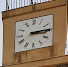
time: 3:14
